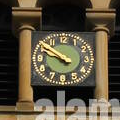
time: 9:51
